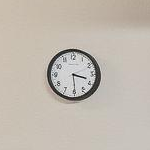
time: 3:29
